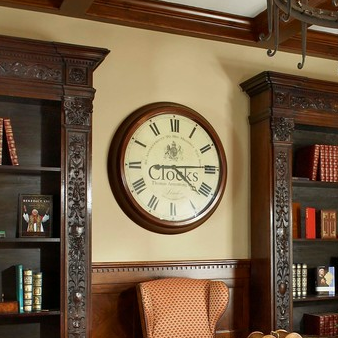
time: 4:14
